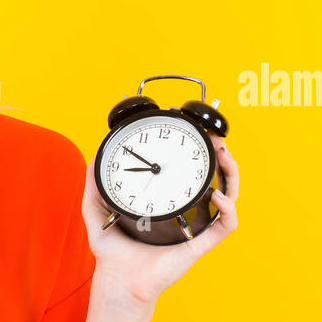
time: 8:50
